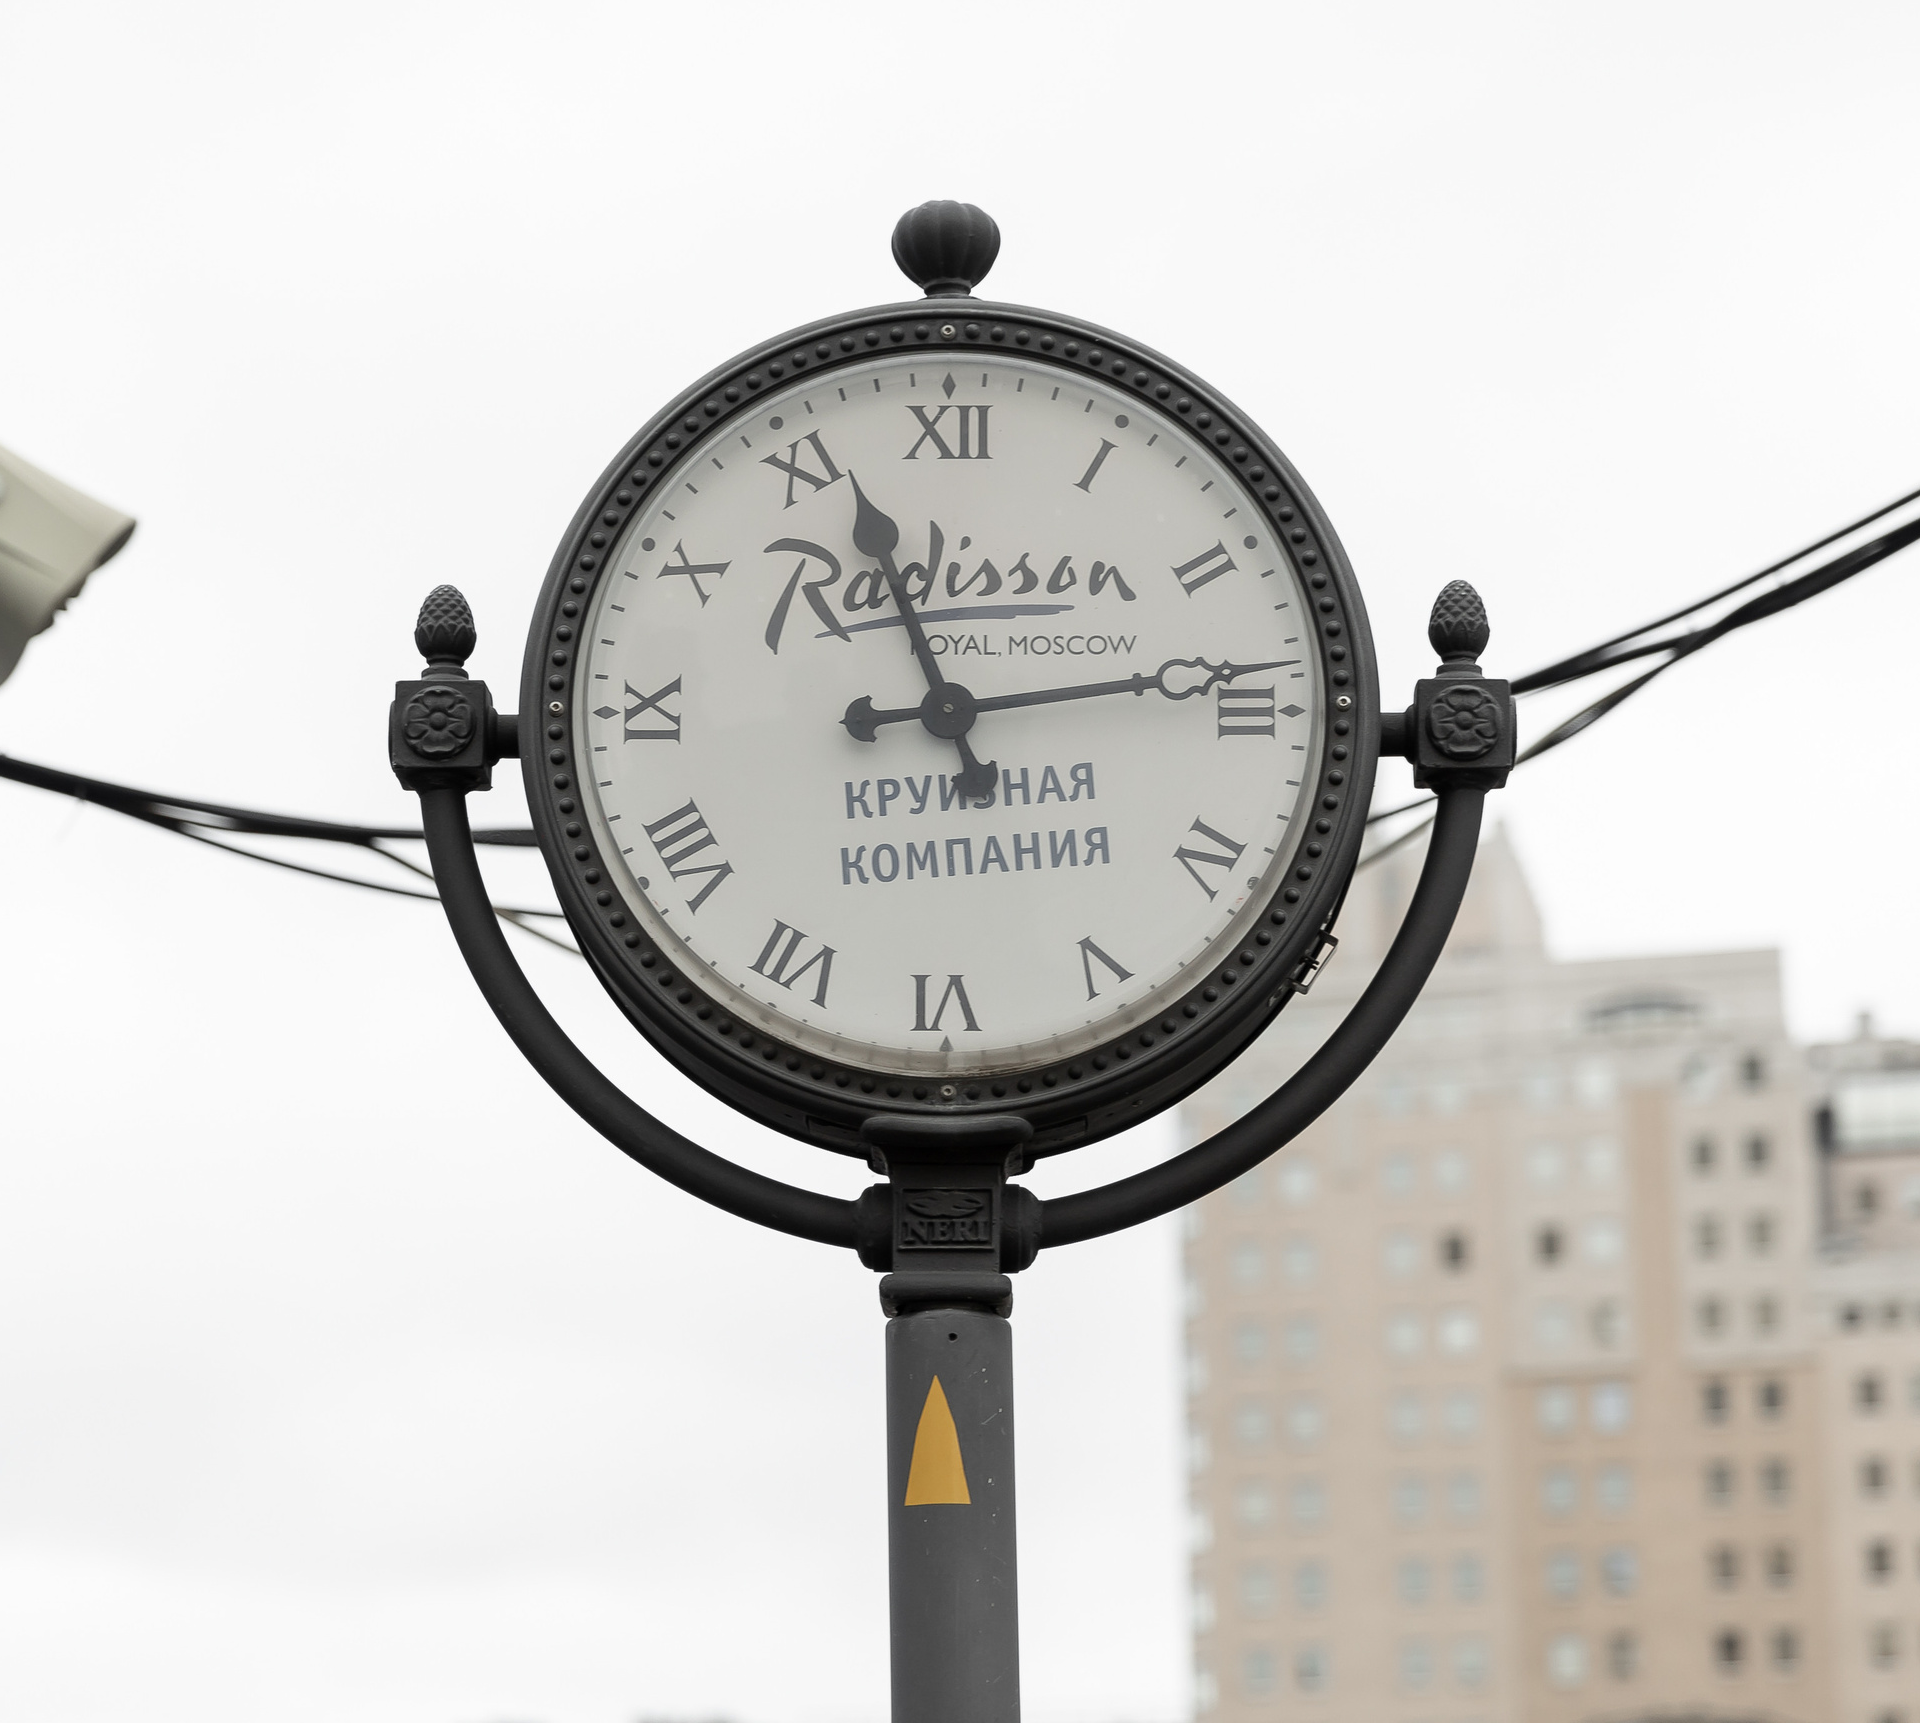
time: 11:13
